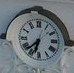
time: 6:38
